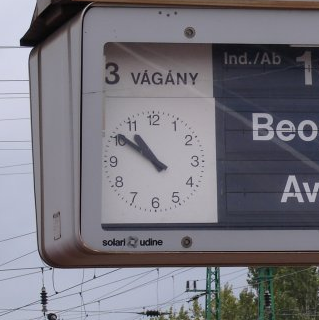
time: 10:50
